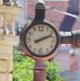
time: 2:11
